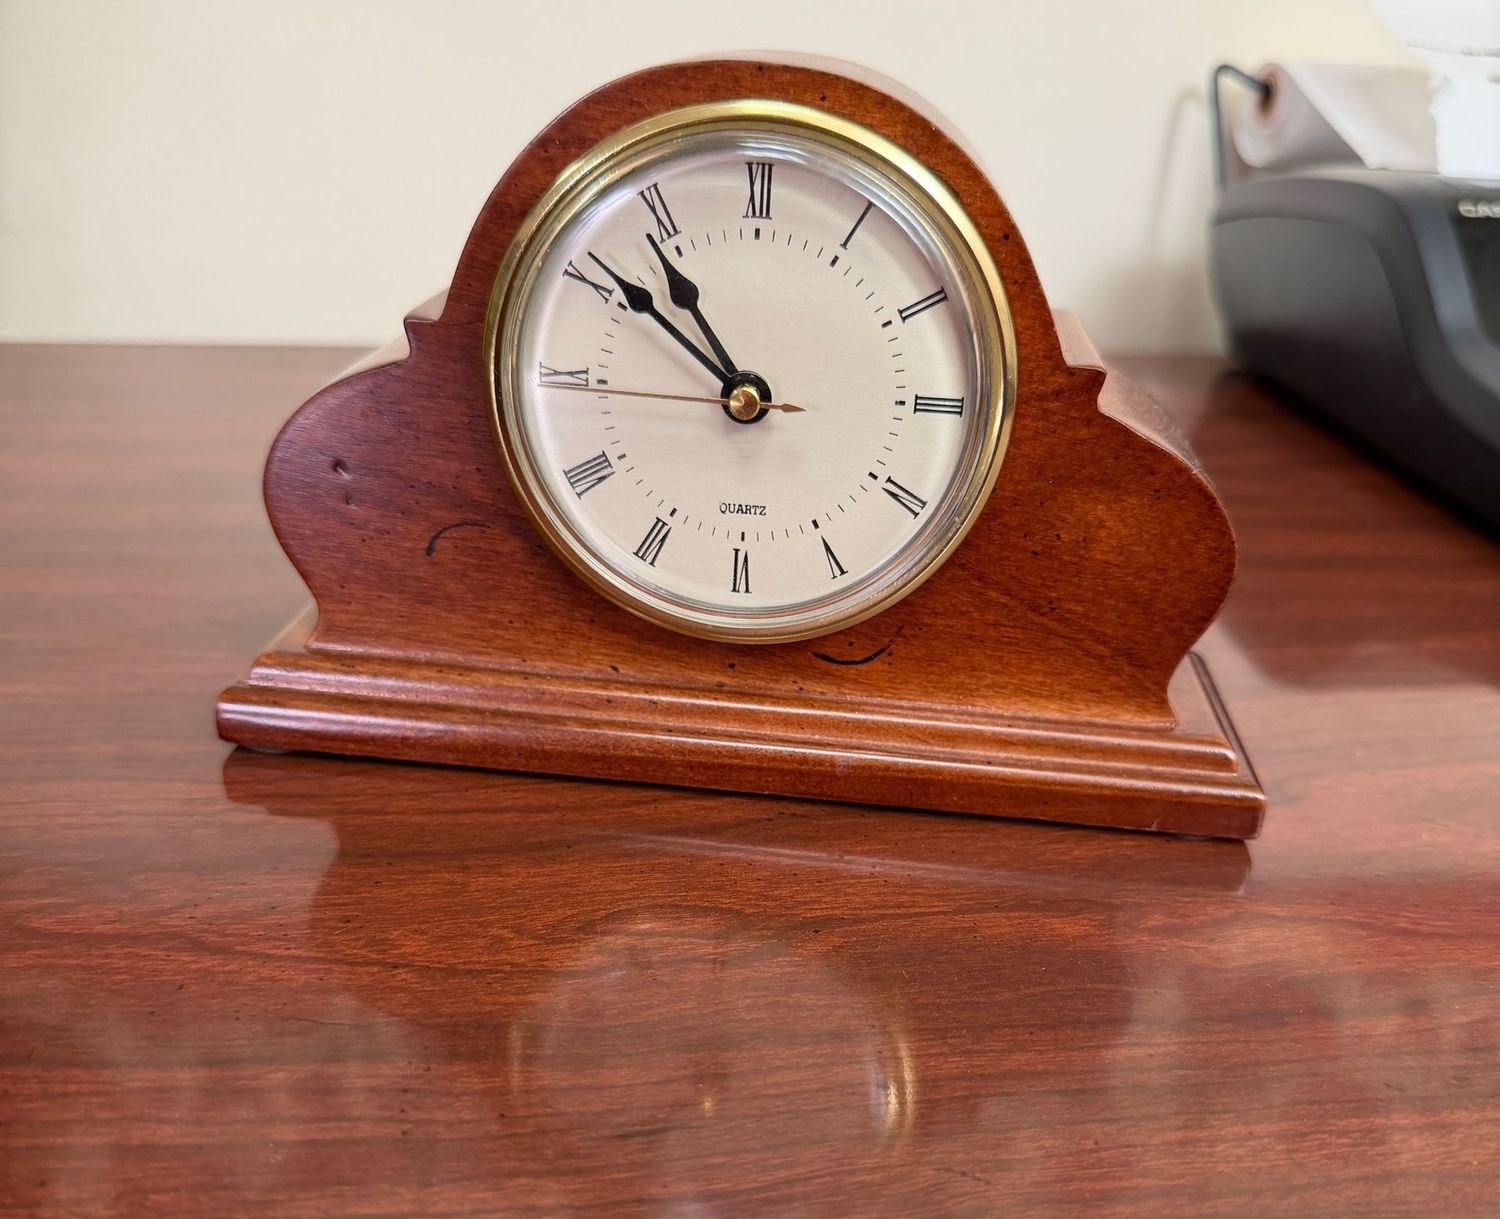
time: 10:51
